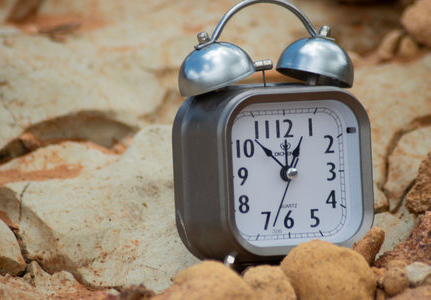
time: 12:52
